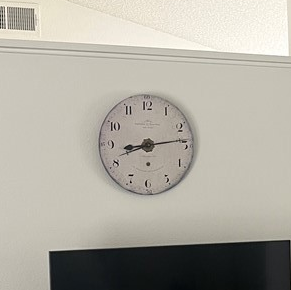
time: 8:13
